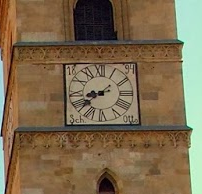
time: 8:38
